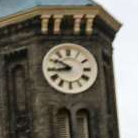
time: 8:50
